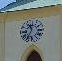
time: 11:35
